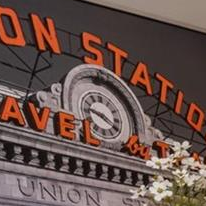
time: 9:20
